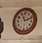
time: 11:11
